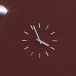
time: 3:56
